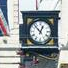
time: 12:52
